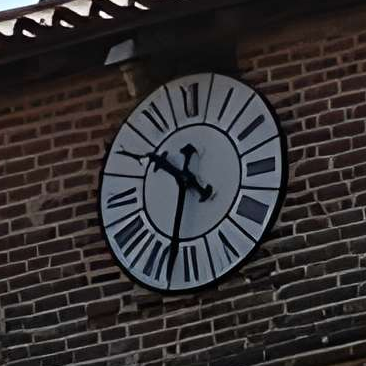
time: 10:32
